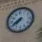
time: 7:40
